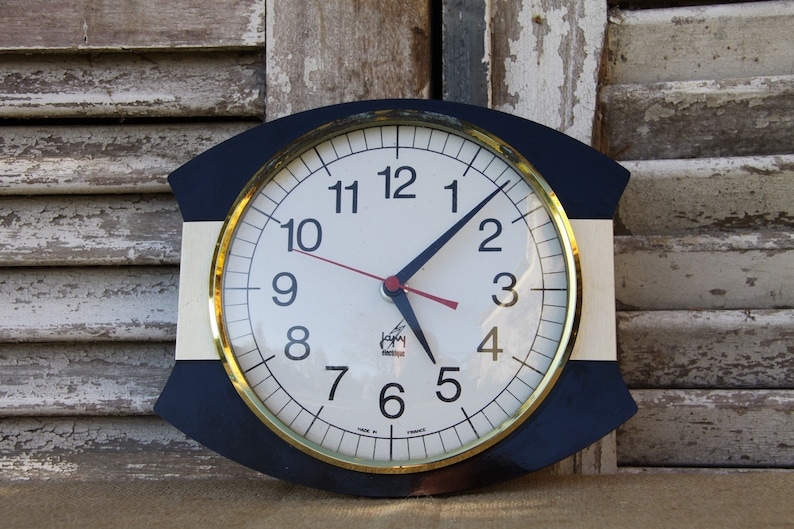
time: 5:07
